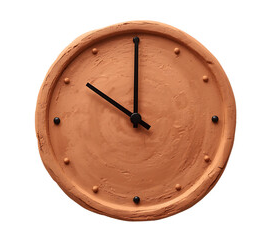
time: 10:00
